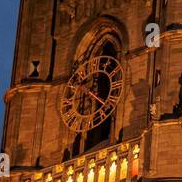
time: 6:20
